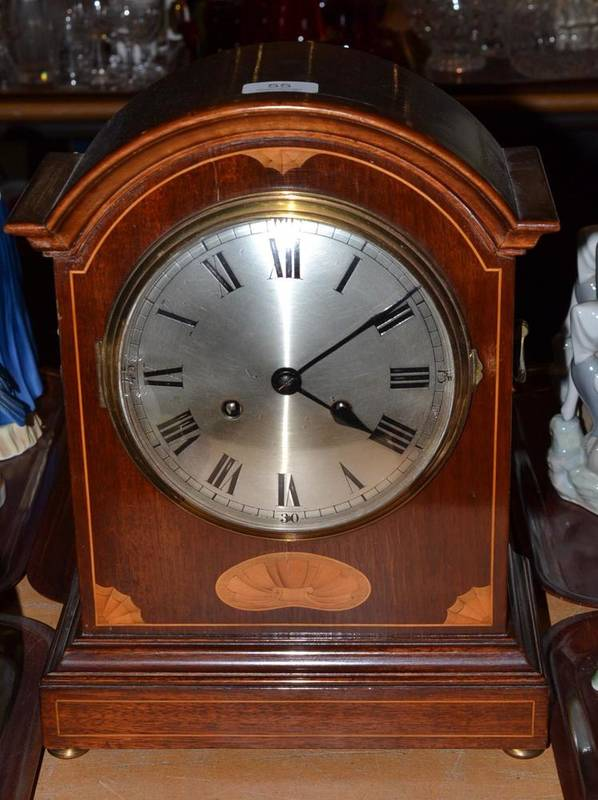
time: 4:09
